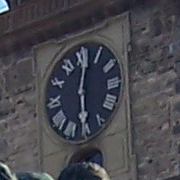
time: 6:01
